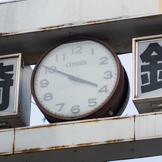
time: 3:50
